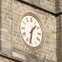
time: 1:32
